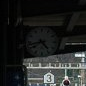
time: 4:42
